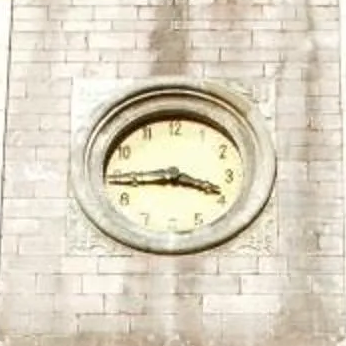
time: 3:44
